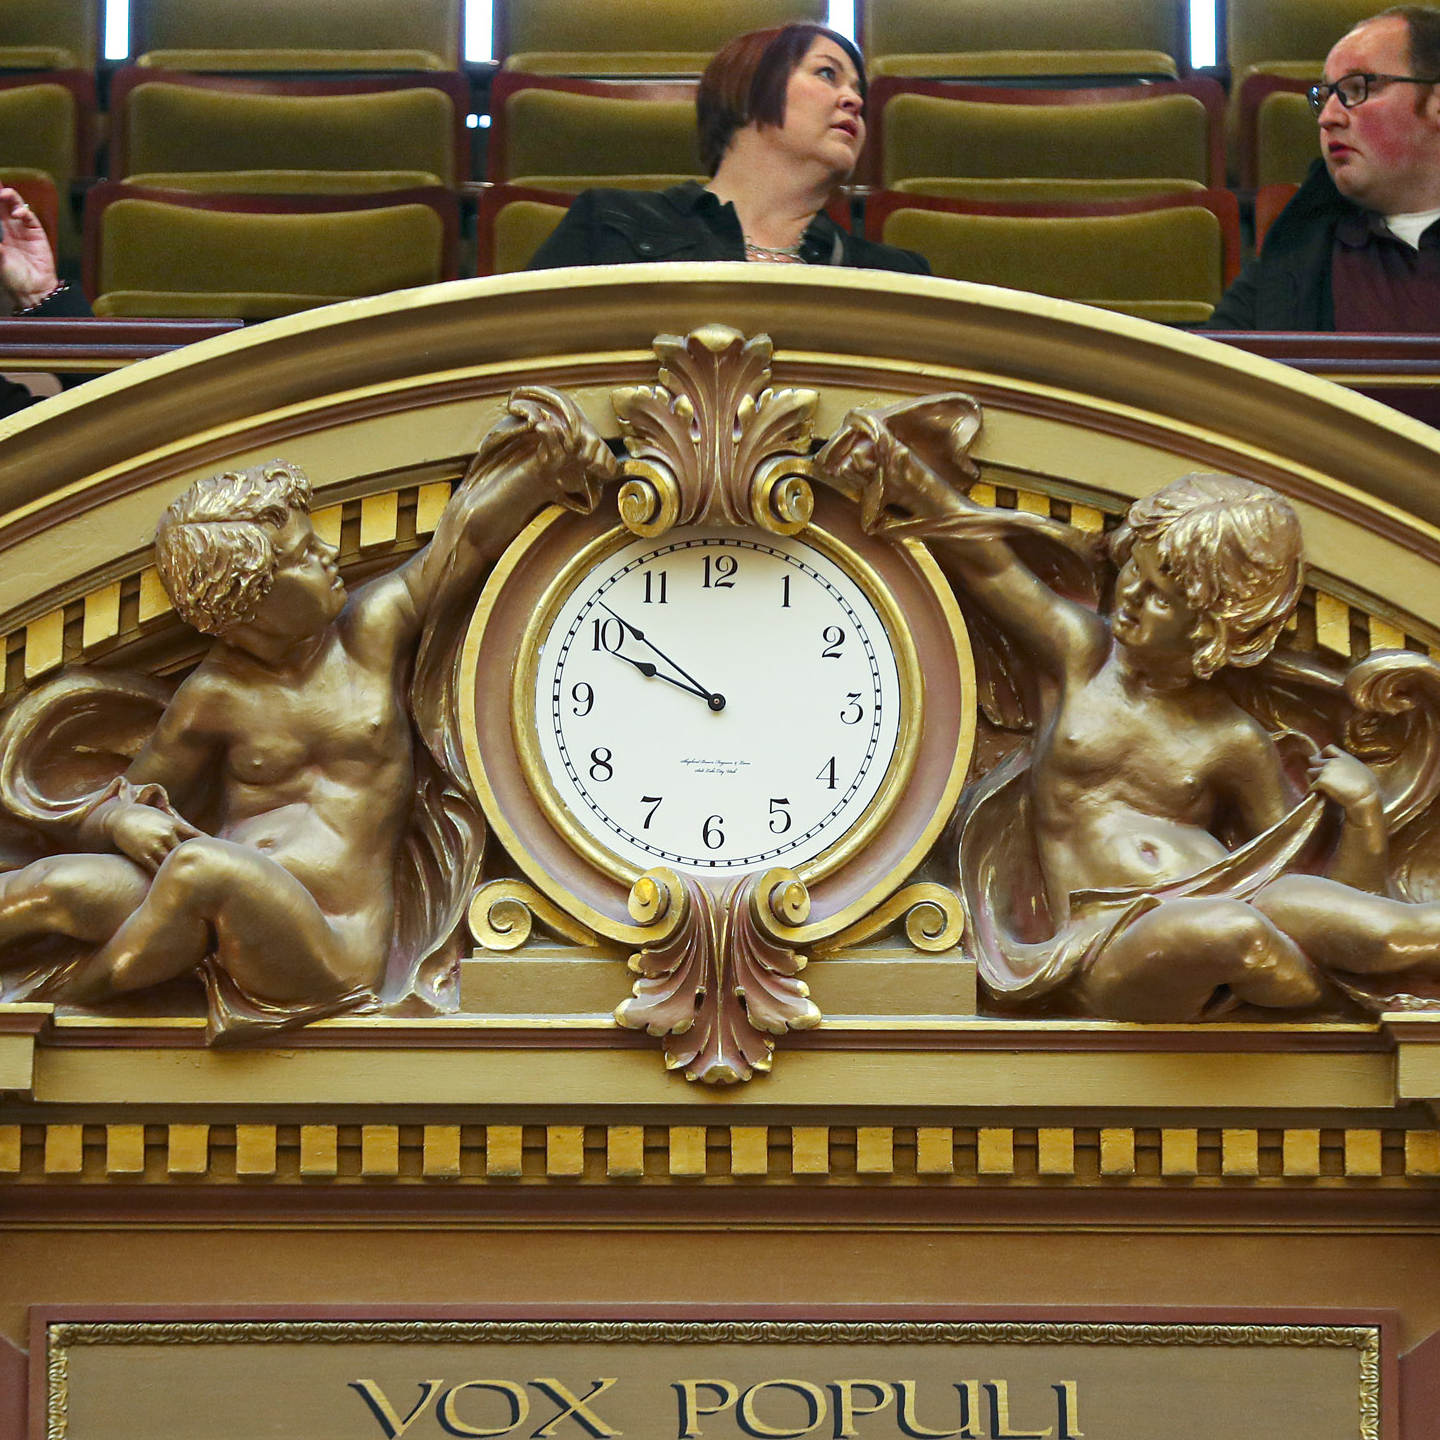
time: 9:51
